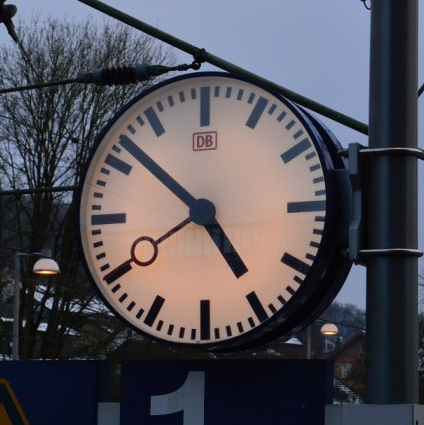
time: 4:52
